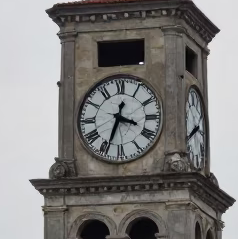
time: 3:33
